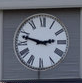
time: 2:47
